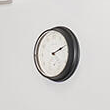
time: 2:11
